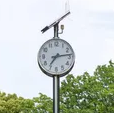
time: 7:13
